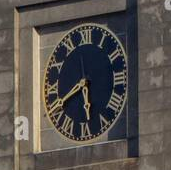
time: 5:40
